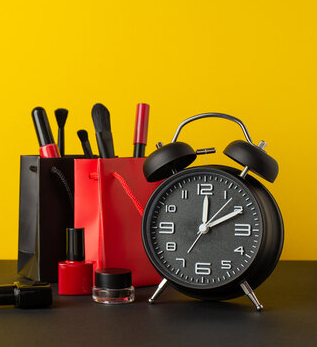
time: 12:10
